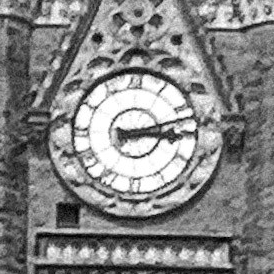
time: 3:12
